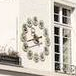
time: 10:42
